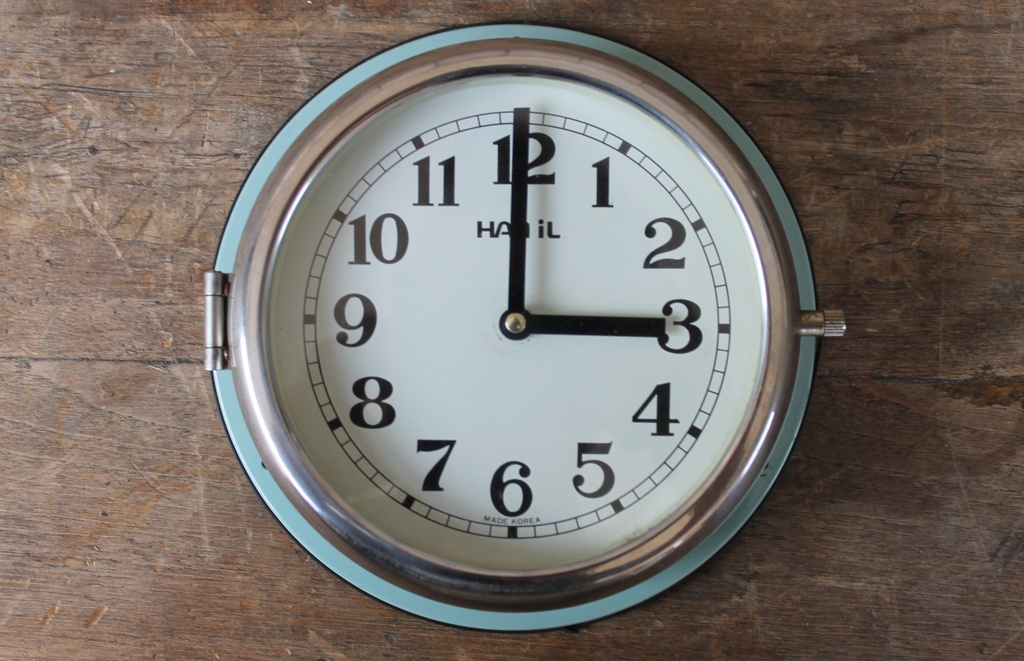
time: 3:00
